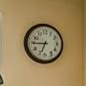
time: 6:44
